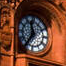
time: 11:36
